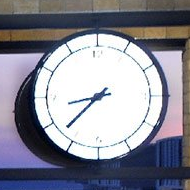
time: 8:37
